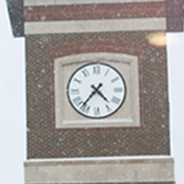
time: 4:36
